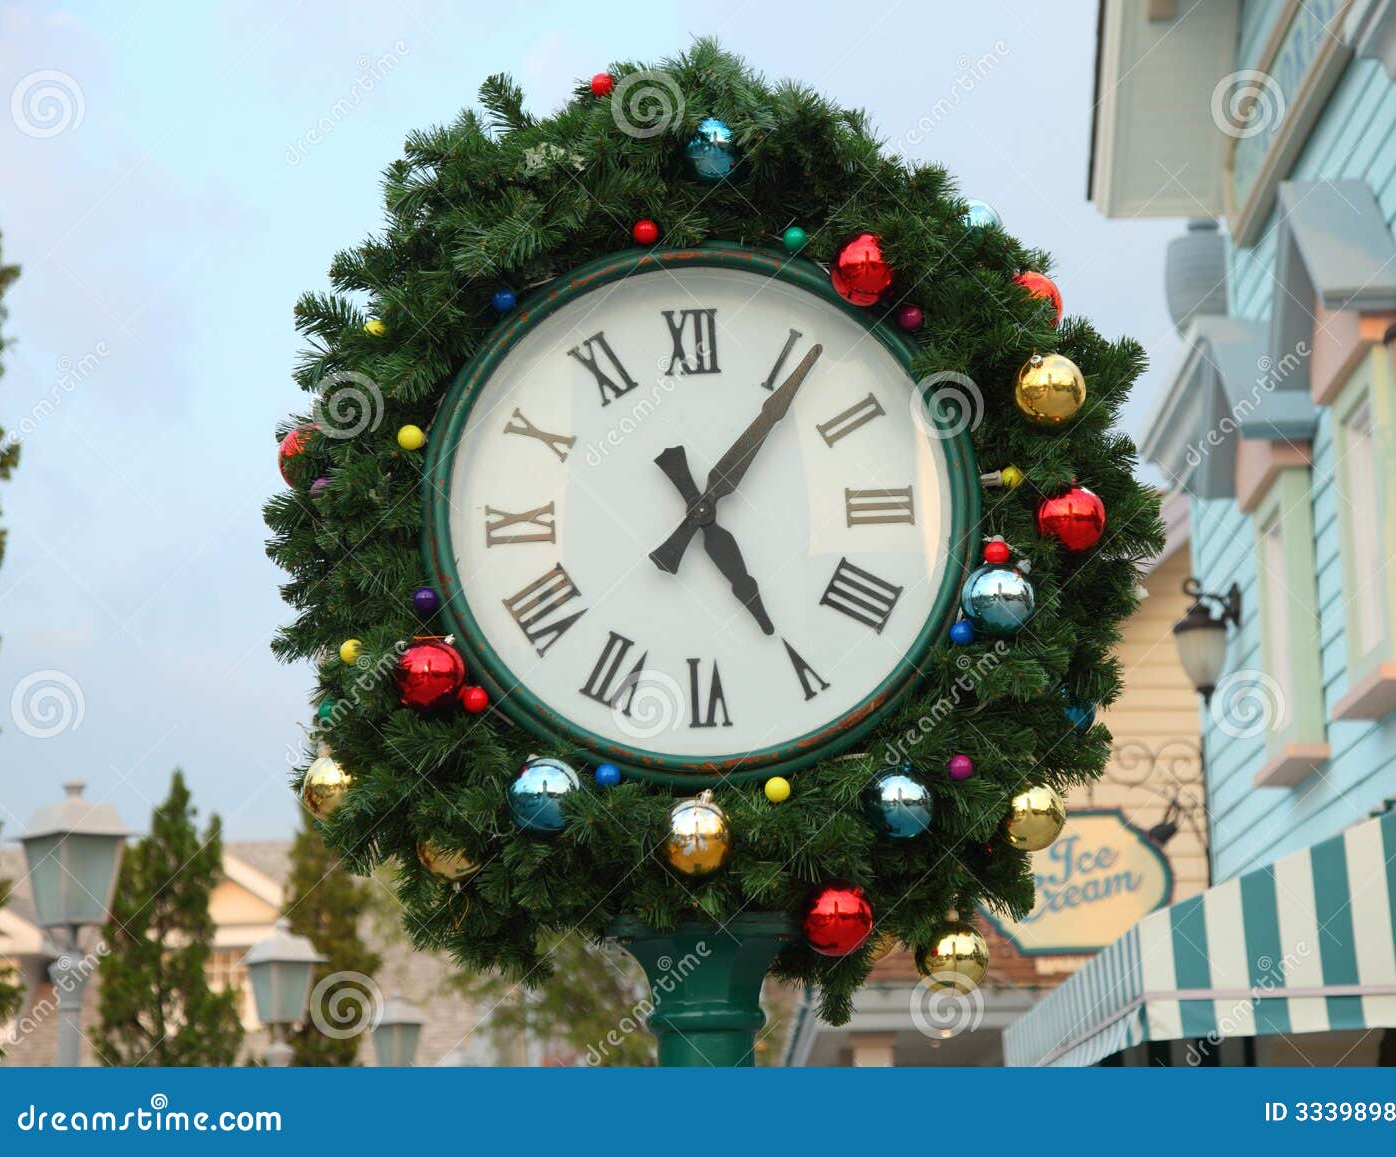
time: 5:06
